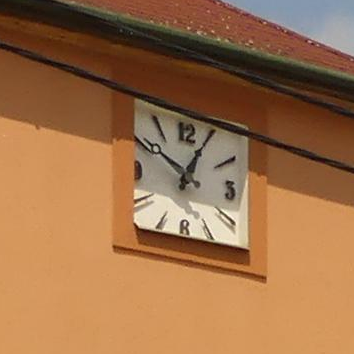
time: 10:04
